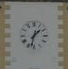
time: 1:32
